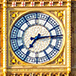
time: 7:14
